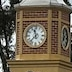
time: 11:37
